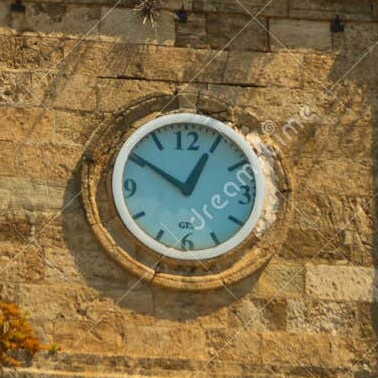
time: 12:50
